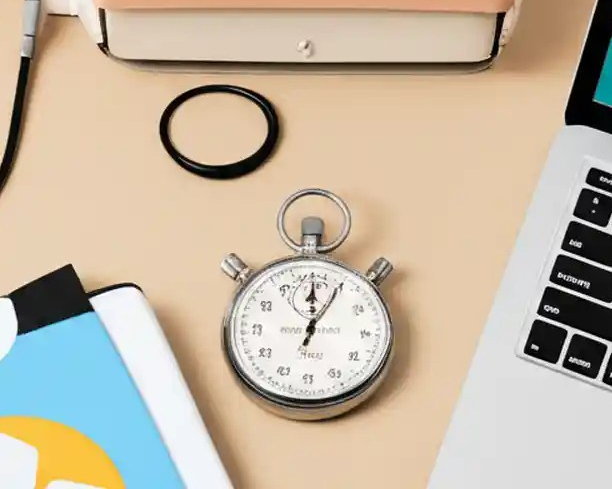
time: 12:04
